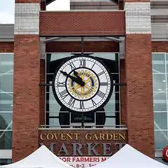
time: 10:50
